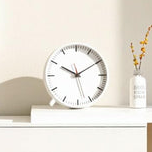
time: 10:09
